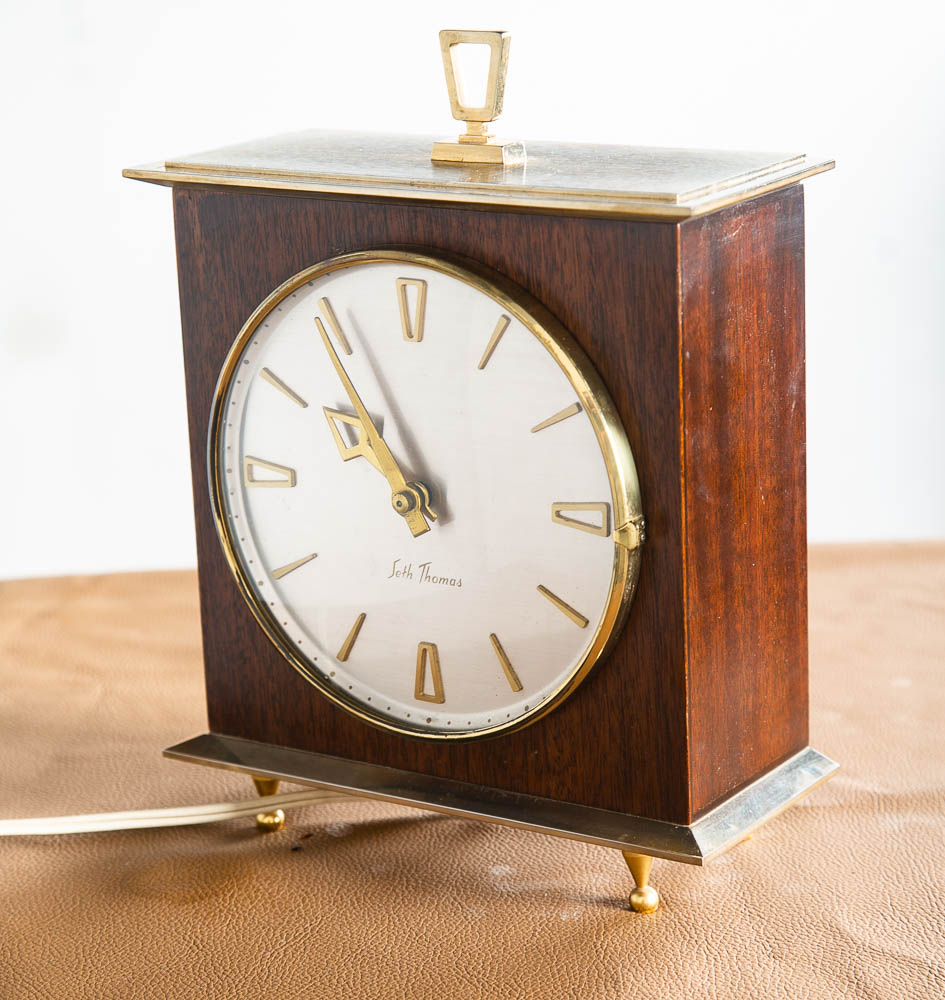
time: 9:54
